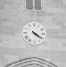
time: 4:20
